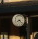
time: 8:22
